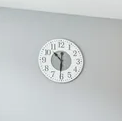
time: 10:30
